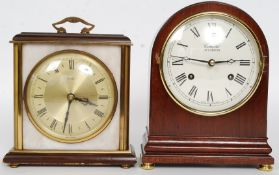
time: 2:46
